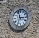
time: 2:58
